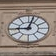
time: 9:02
